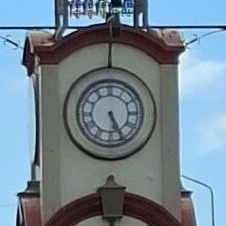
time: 5:25
